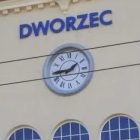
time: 1:44
